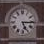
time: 5:15
